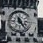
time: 11:23
